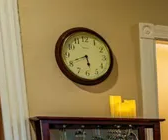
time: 5:41
